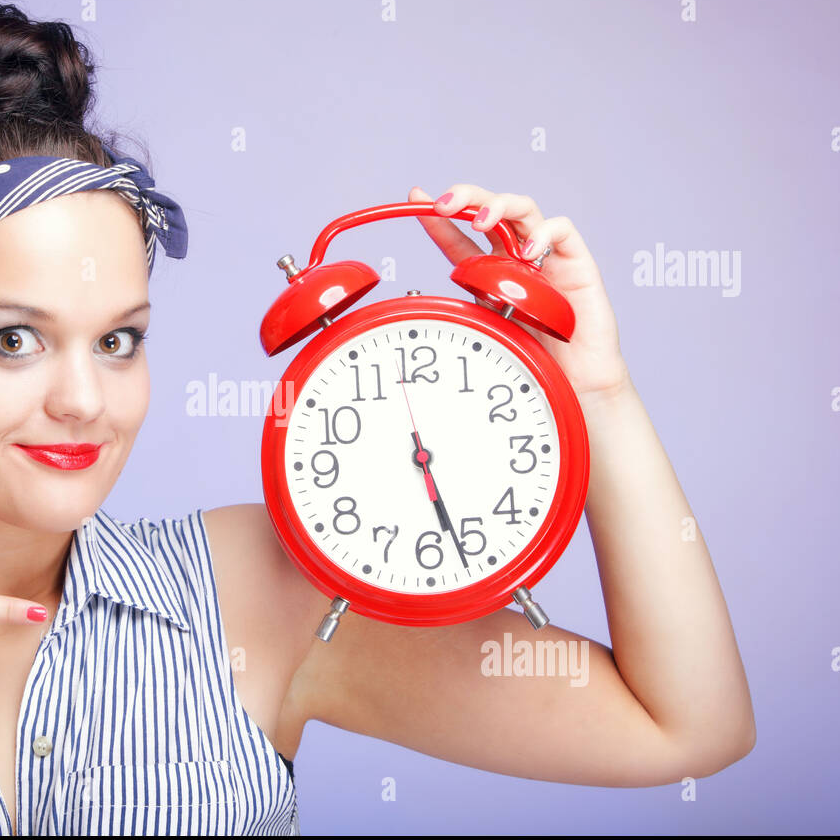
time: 5:26
